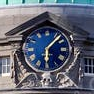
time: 6:07
